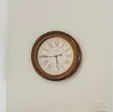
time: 5:45
